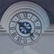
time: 10:22
